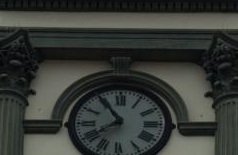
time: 7:54
